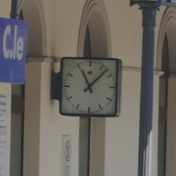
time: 11:07
